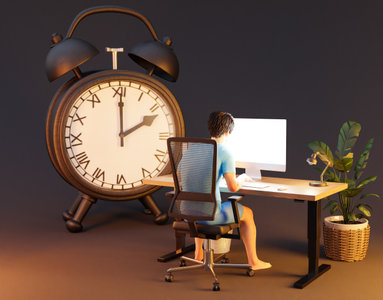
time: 2:01
